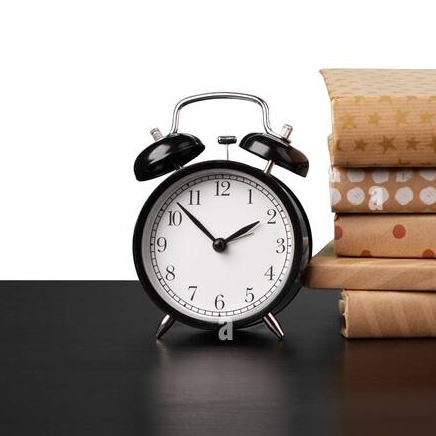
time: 1:52
